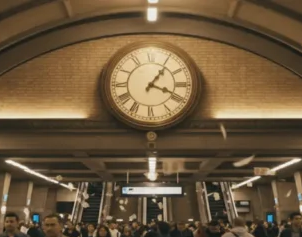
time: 1:18
